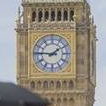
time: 1:46
